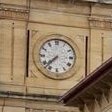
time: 7:37
